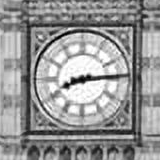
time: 8:14
